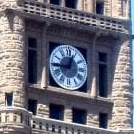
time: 12:44
